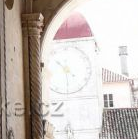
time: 4:29
